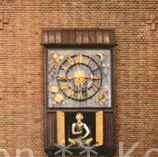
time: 6:15
